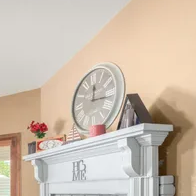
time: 12:16
